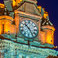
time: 10:24
